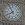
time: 7:55
